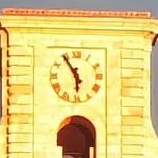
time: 5:54
